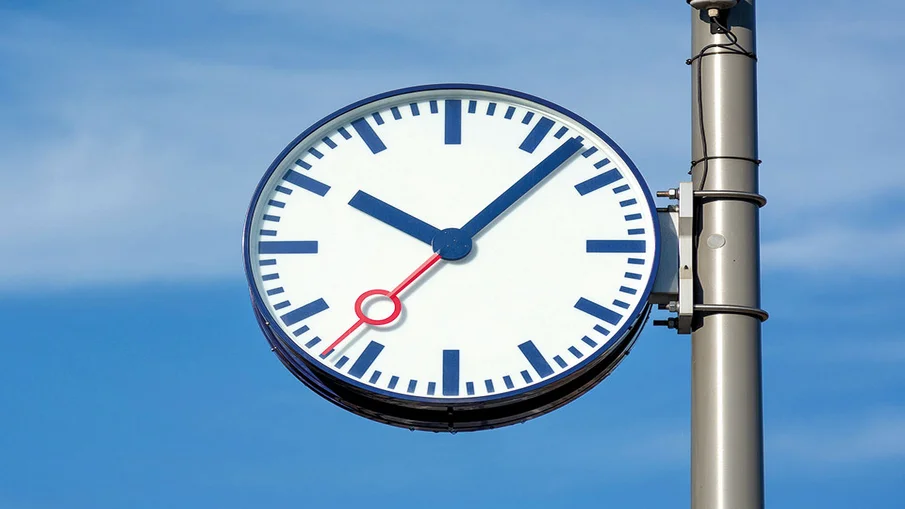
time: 10:07
